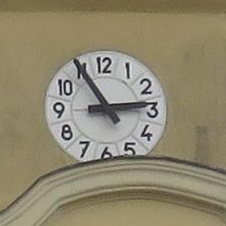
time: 2:54
